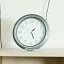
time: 1:25
